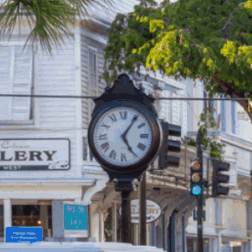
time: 5:06
